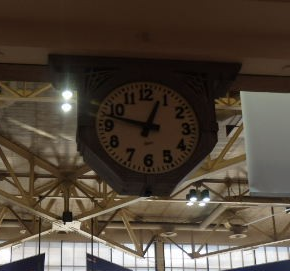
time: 12:47
